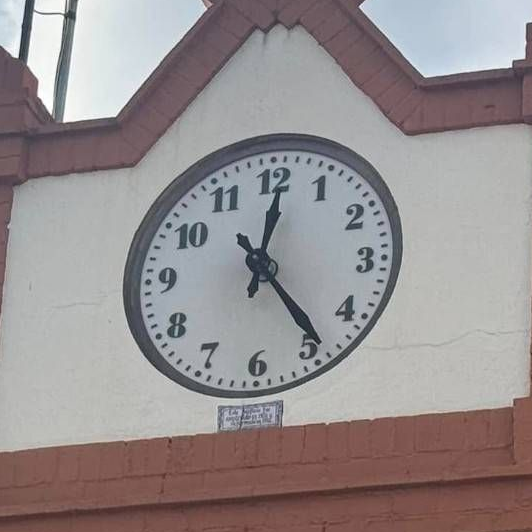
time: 12:23
